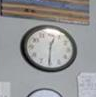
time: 12:30
